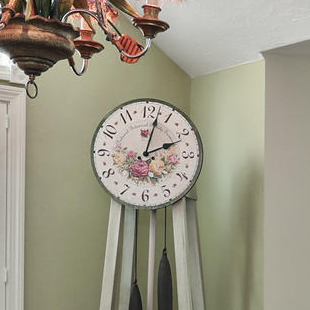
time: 2:02
